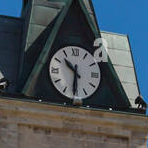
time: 10:30
